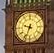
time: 9:33
